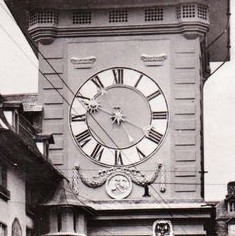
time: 3:48
